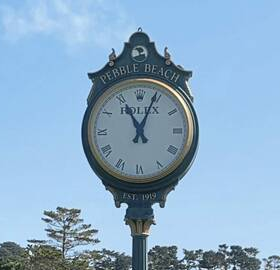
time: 11:04
